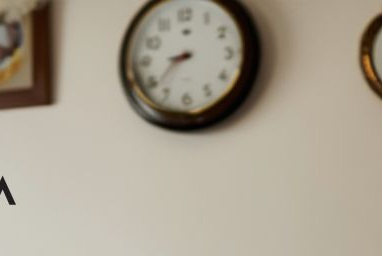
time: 8:38
